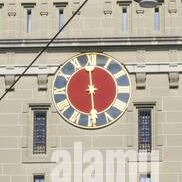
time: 5:59
